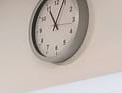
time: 11:04
